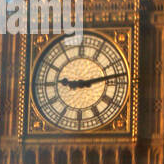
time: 9:13
